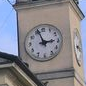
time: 2:56
